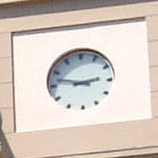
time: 2:47
